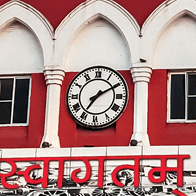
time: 7:10
